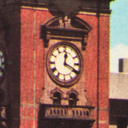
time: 12:20
